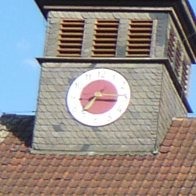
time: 7:15
